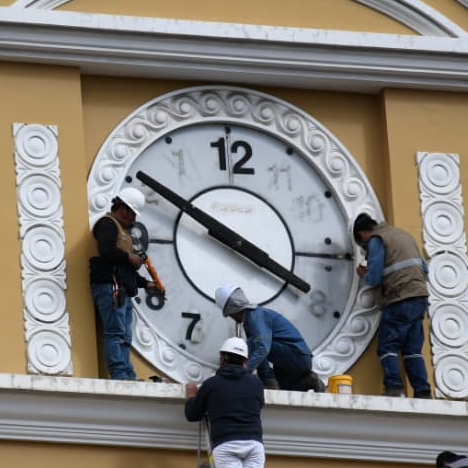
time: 3:50
